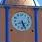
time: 5:26
